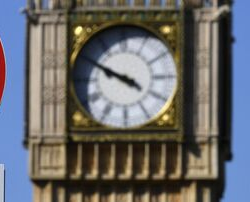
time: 9:50
